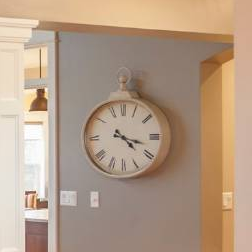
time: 4:17
